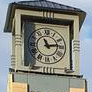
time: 11:13
